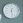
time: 12:28
